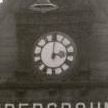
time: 3:00
